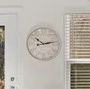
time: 10:12
